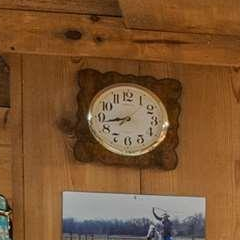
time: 8:42
